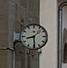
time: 8:29
